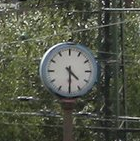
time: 4:29
